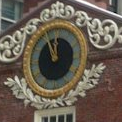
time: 11:55
